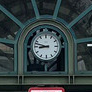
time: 8:47
